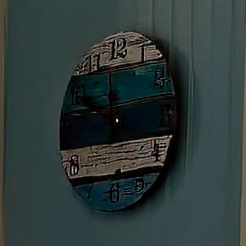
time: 11:49
